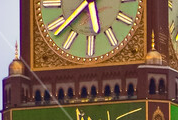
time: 5:38
